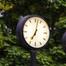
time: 7:02
